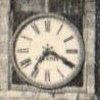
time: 7:19
